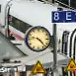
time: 9:22
